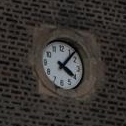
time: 4:07
